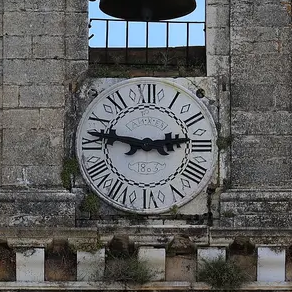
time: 2:47
